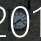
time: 3:40
